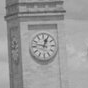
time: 12:47
